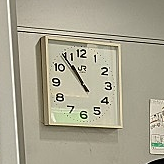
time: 10:53
